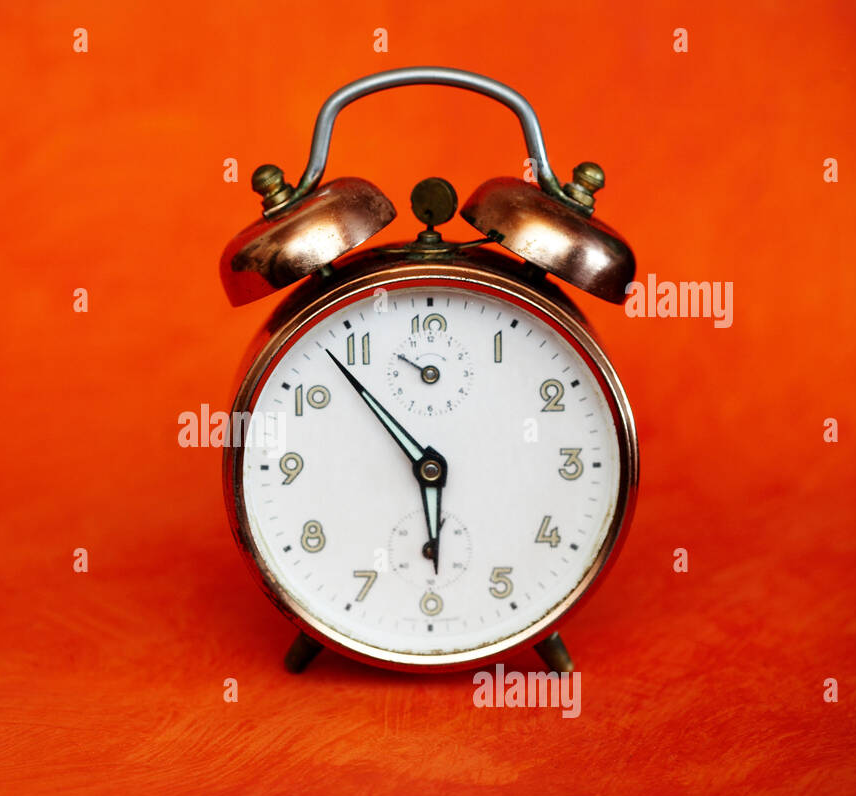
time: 5:53
